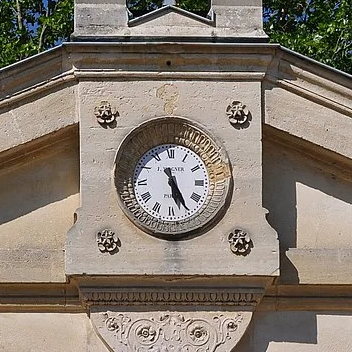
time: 5:24
